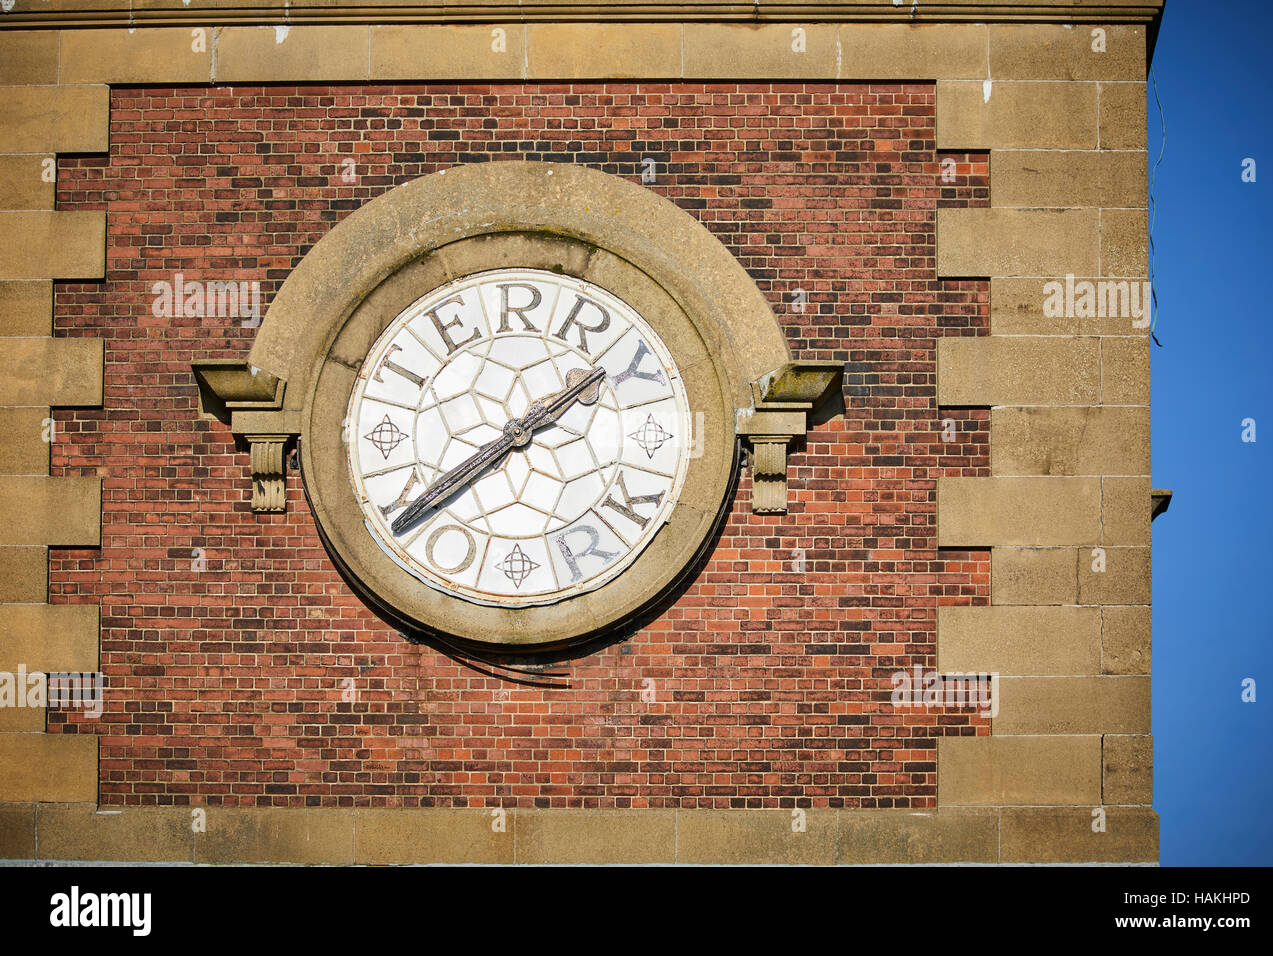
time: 1:38
